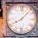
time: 8:07
